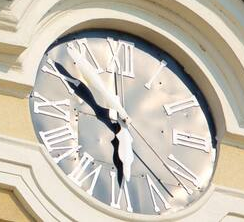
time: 5:50
